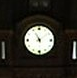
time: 11:08
